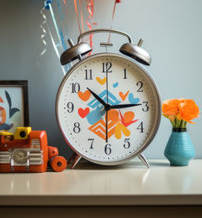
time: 10:14
